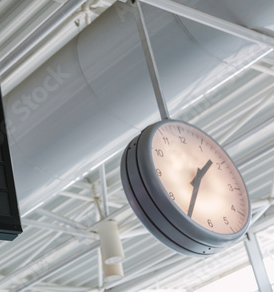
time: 1:35
